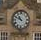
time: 10:49
